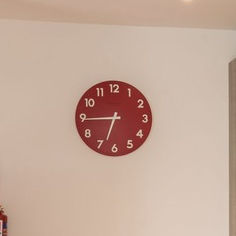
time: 6:44
